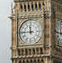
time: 11:44
